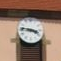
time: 3:46
